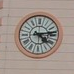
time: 4:13
